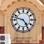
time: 4:47
